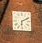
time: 6:10
